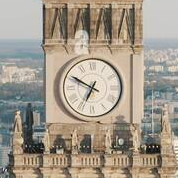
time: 6:49
